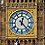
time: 12:23
